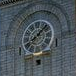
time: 8:07
